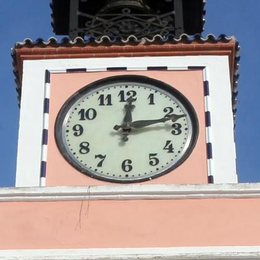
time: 12:12
